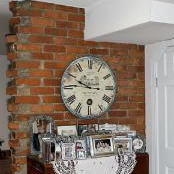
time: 9:45
